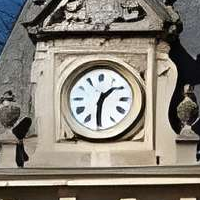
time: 1:30
